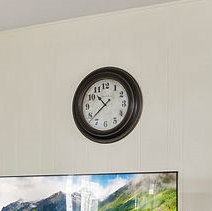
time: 10:37
